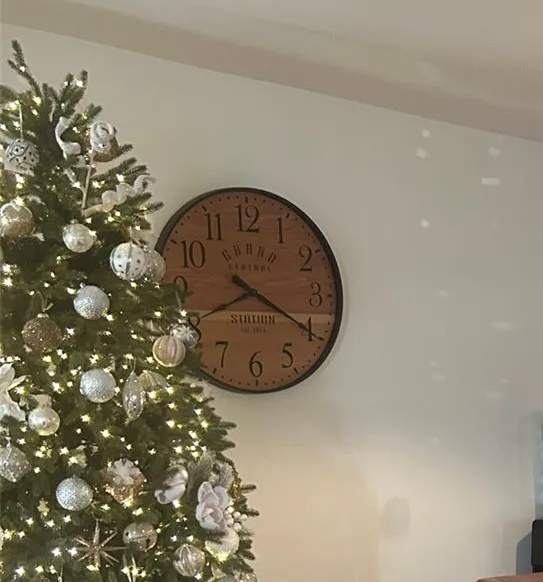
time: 8:20
